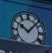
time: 10:07
